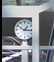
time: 1:16
